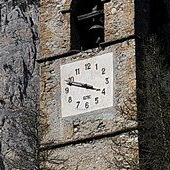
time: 3:48
